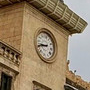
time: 8:41
